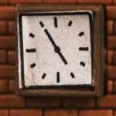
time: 4:54
